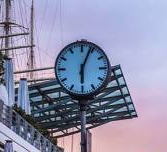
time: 6:03
